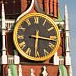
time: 6:16
